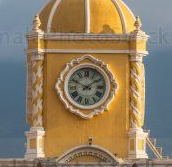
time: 1:49
